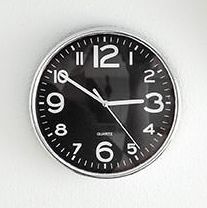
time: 2:50
